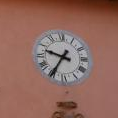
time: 9:35
